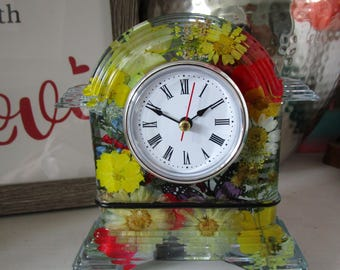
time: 1:49
